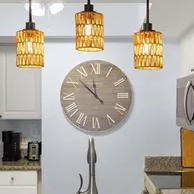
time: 11:52
